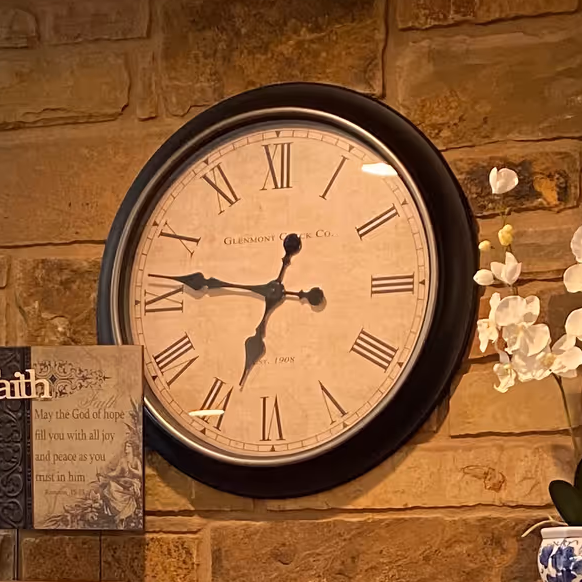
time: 6:46
